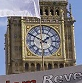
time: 1:50
